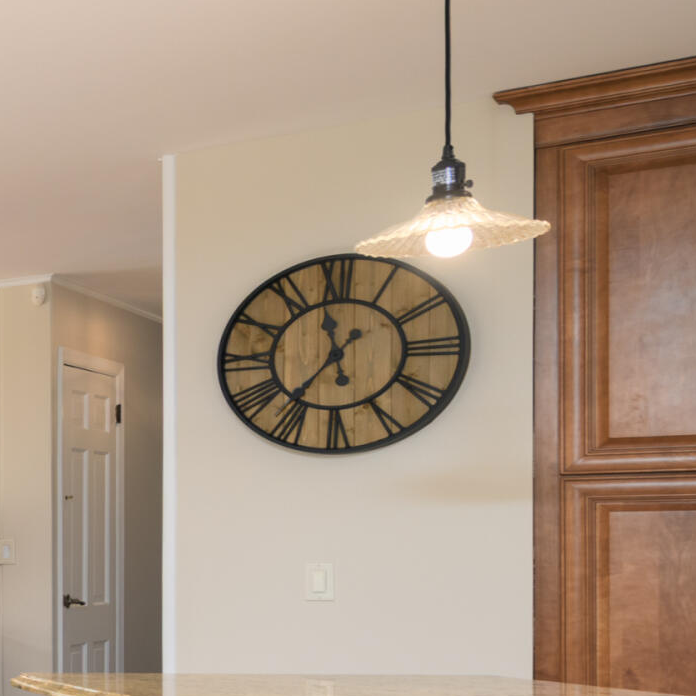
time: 11:36
